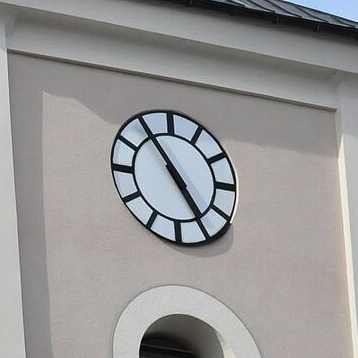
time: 4:53
